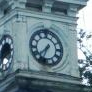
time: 7:33
